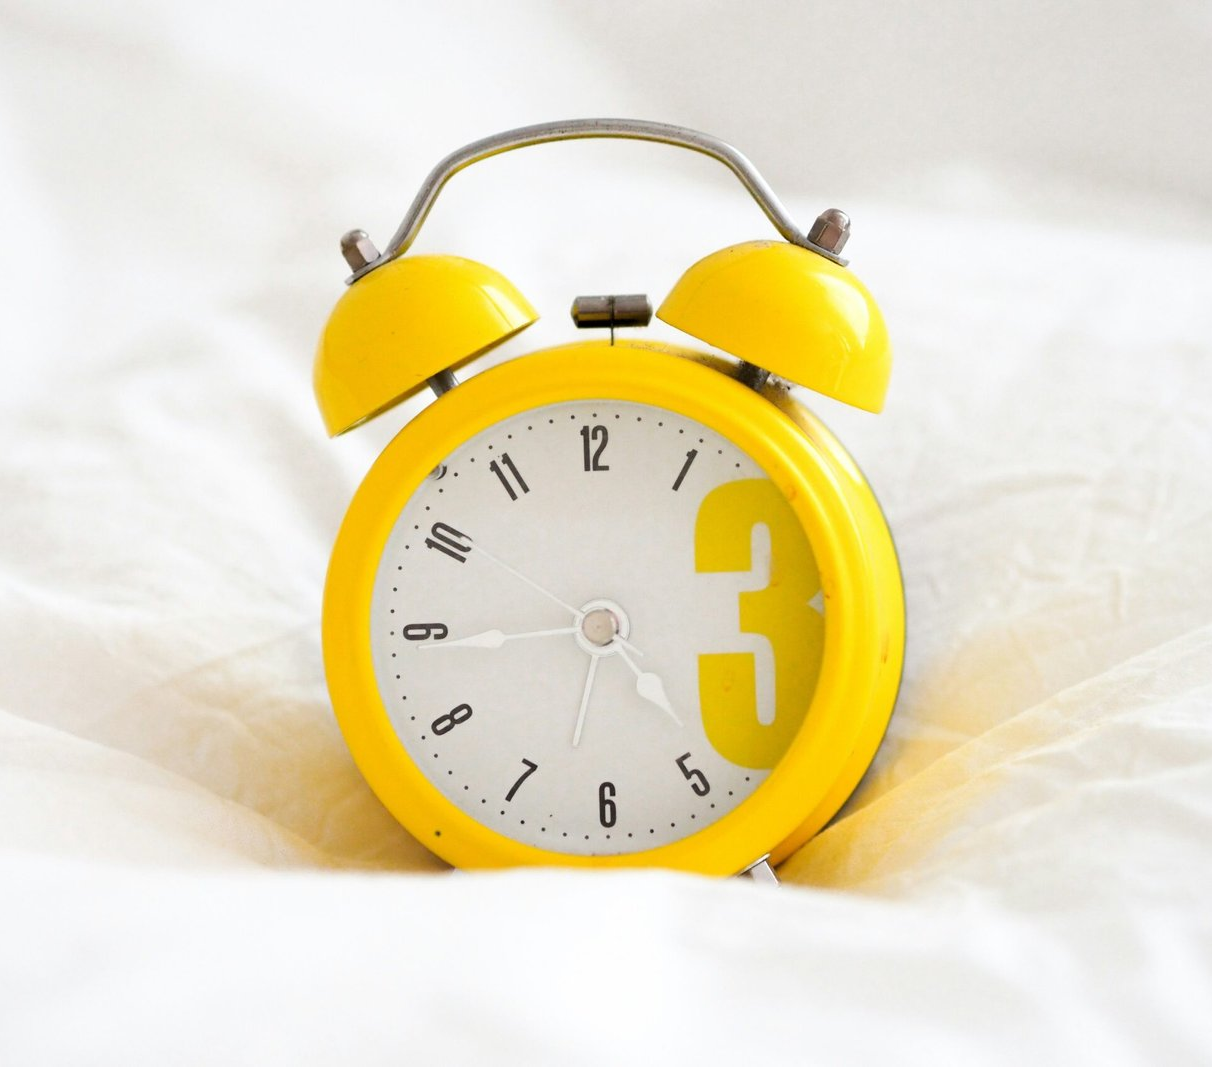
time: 4:44
